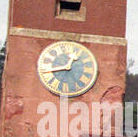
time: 12:44
